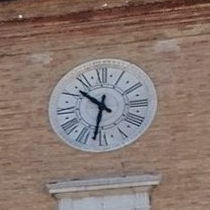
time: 10:32
